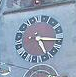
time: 5:15
